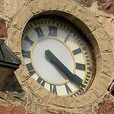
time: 4:20
